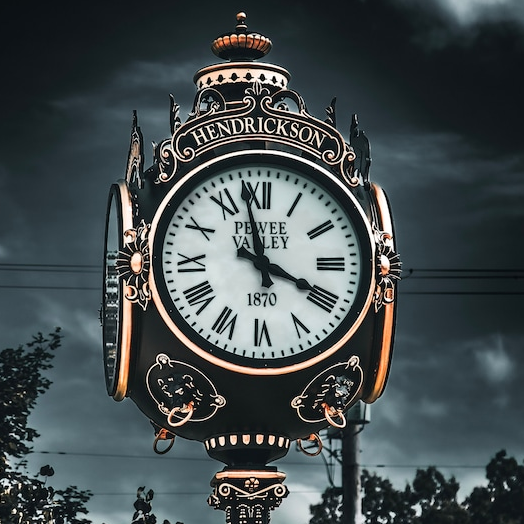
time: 3:58
